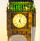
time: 5:03
